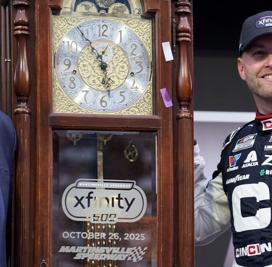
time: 5:53
